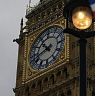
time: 10:42
